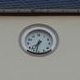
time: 7:32
